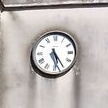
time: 5:24
